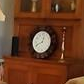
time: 12:41
